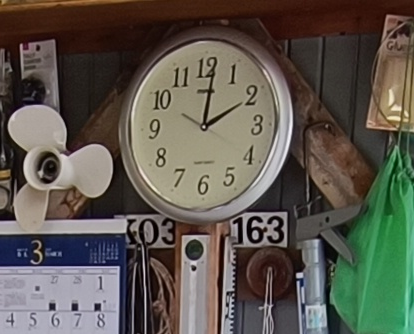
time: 2:01
